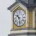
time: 10:28
